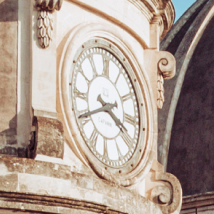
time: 3:40
